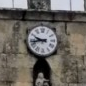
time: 9:42
